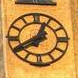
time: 12:40
